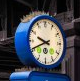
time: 9:41
